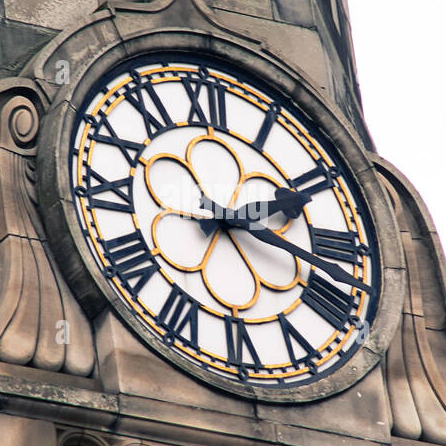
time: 2:18
